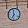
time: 6:58
